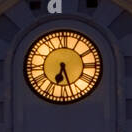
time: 6:27
